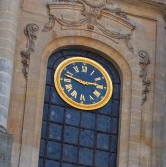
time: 2:47
